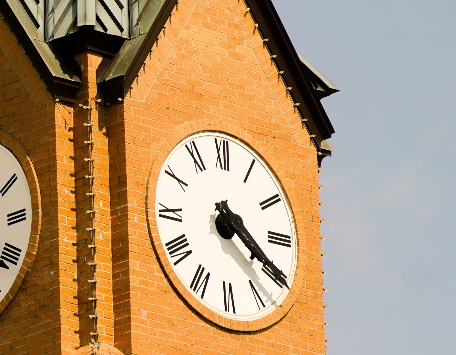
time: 4:20
